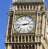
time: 2:43
